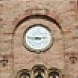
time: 8:45
